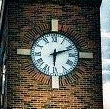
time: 6:11
